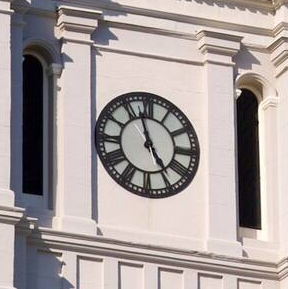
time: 4:57
